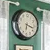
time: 6:17
